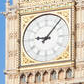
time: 9:07
